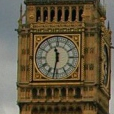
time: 11:31
